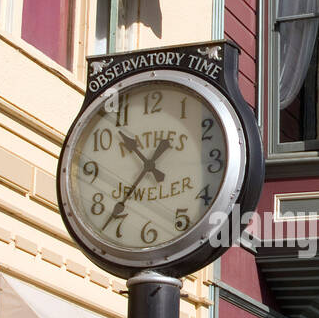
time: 10:36
